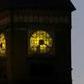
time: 7:20
